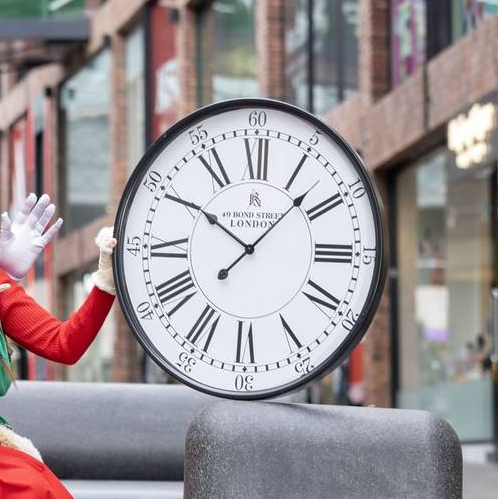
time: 10:07
